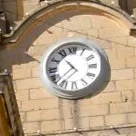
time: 10:37
